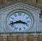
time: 3:43
